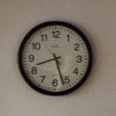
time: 8:26
